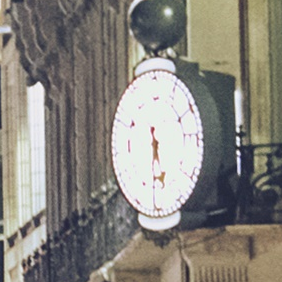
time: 5:30
